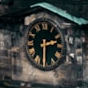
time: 2:30
